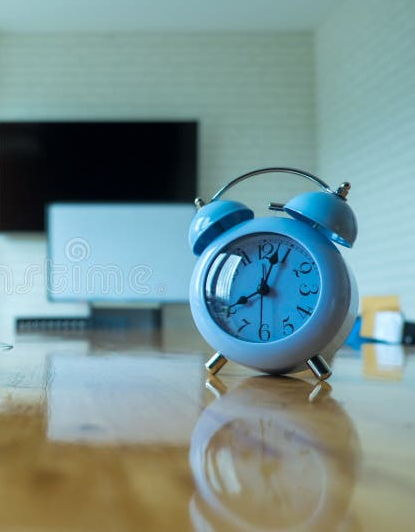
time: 8:03
